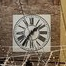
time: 1:35
